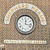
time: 12:16
